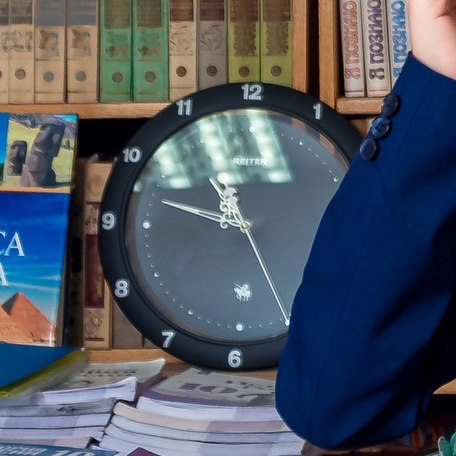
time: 10:47
